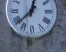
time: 12:38
